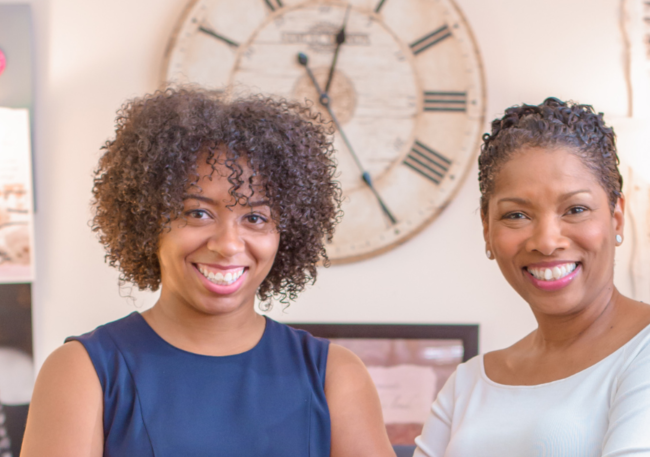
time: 12:25
